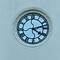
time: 4:12
